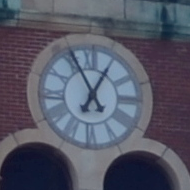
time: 7:04
